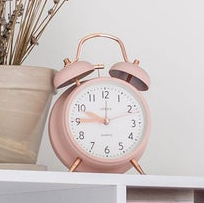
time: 9:45
